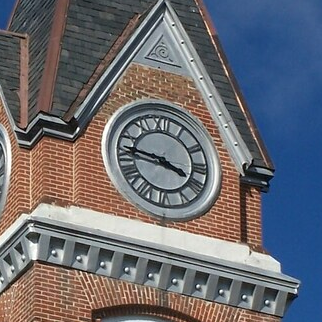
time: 3:46
